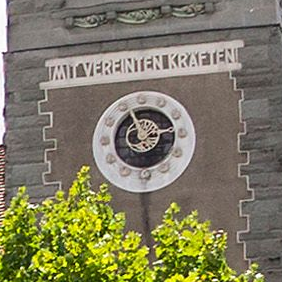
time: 11:13
